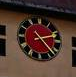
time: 2:22
